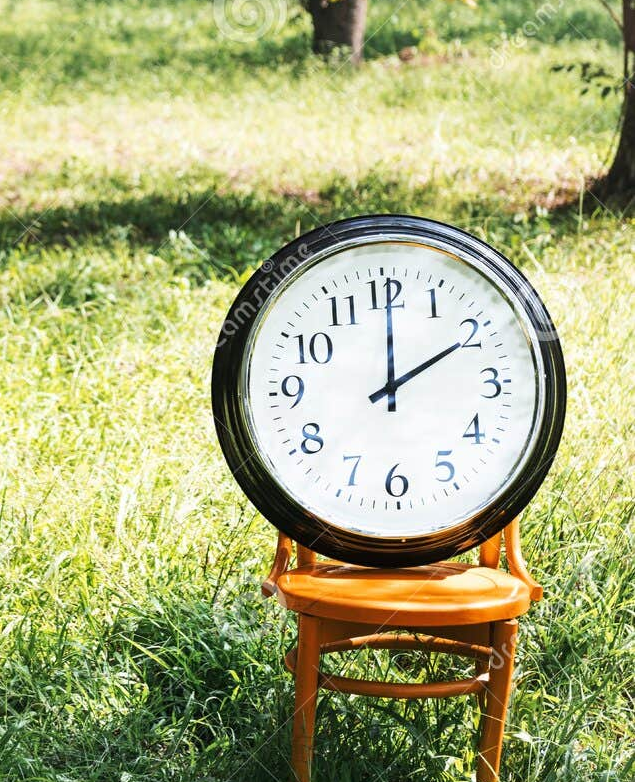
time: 2:00
